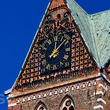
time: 12:07
